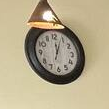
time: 12:03
